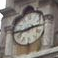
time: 2:43
